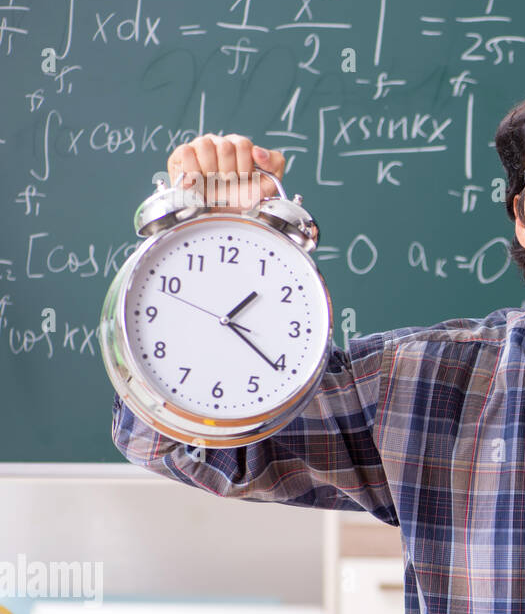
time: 1:21
